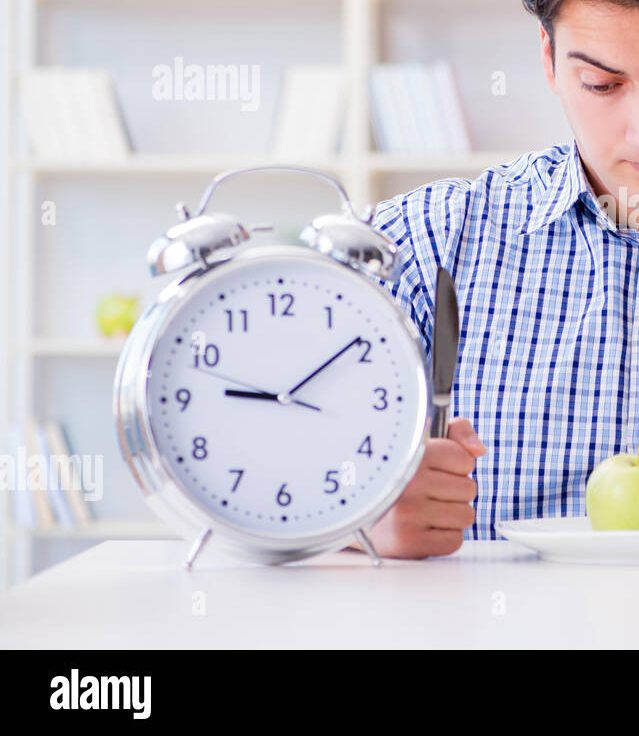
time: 9:09
